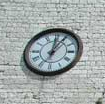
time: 12:05
